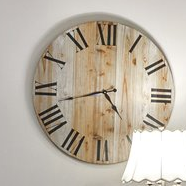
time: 4:42
